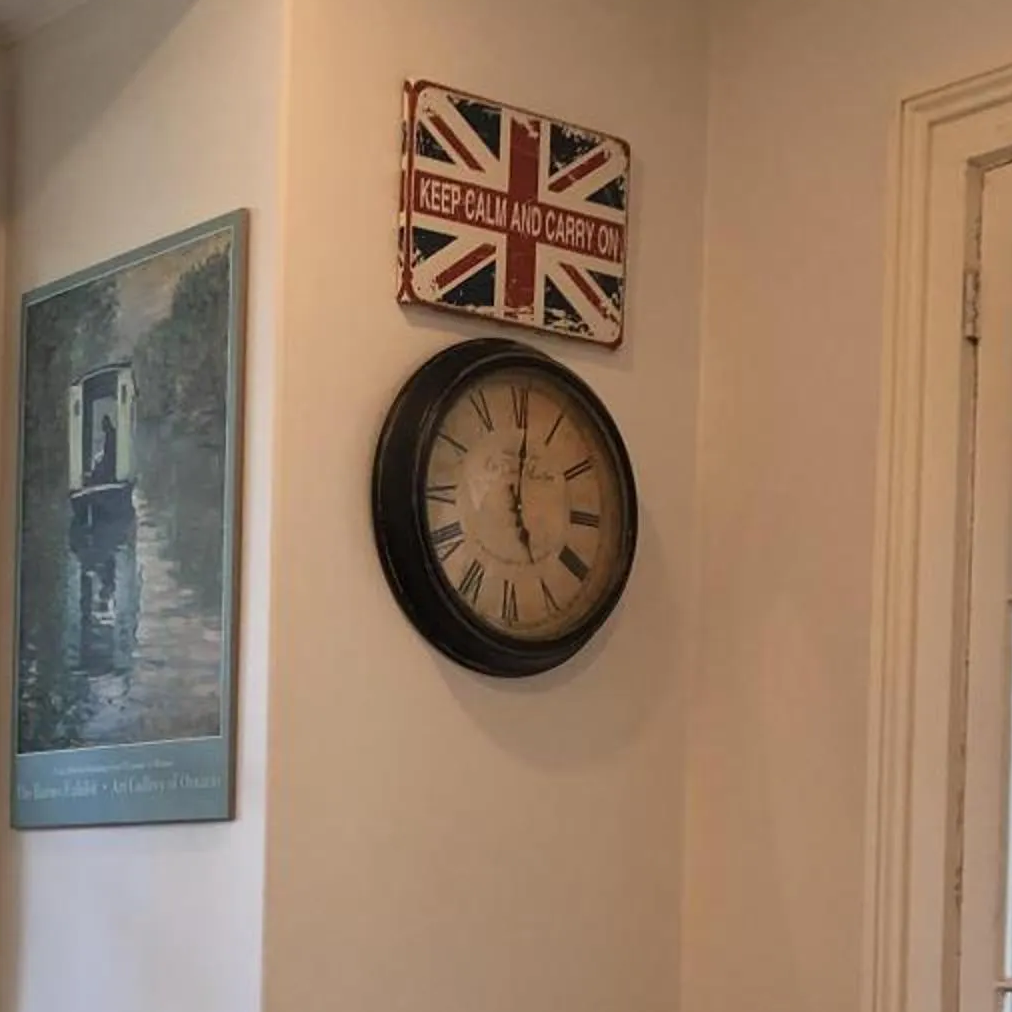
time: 5:01
